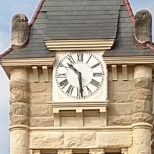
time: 10:28
